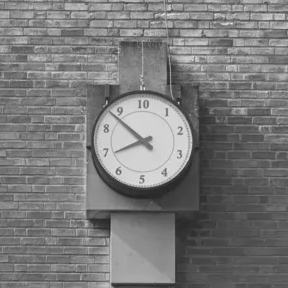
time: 7:52
